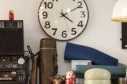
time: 4:10
